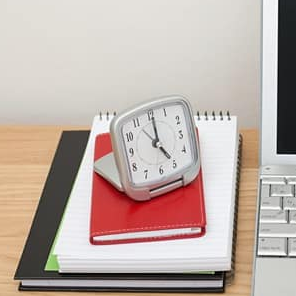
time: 5:00
